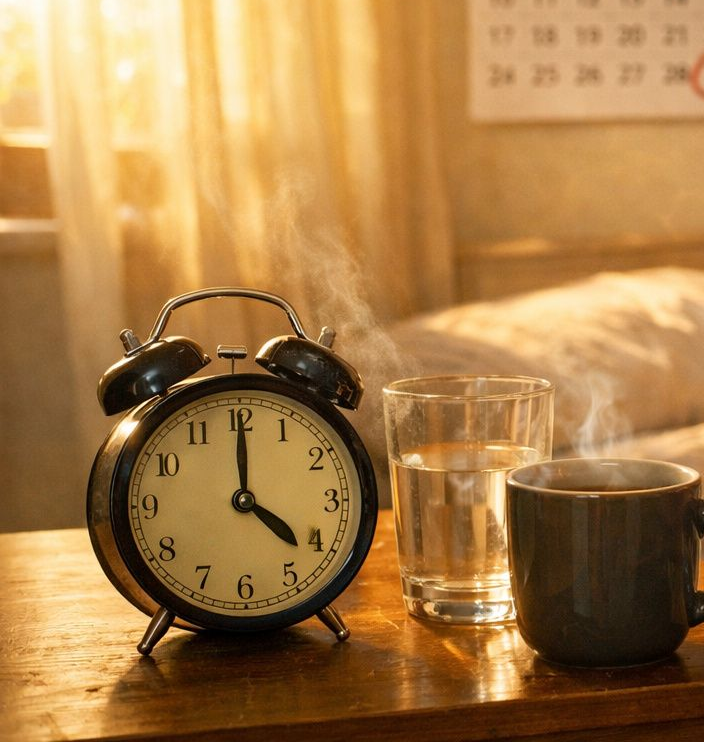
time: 4:00
